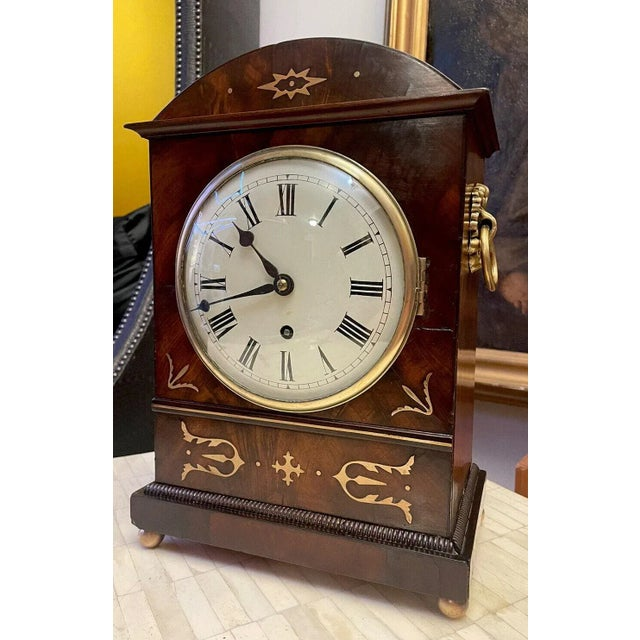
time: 10:42
